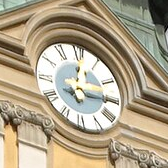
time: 12:14
